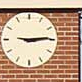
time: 9:14
